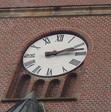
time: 2:13
